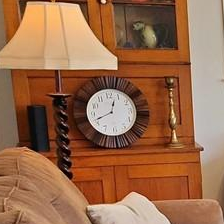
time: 12:41
